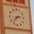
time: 2:37
